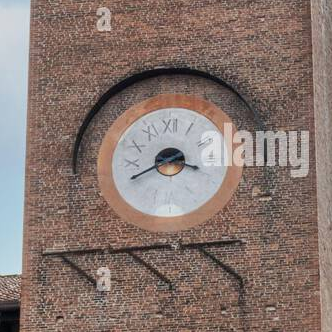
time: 3:40
